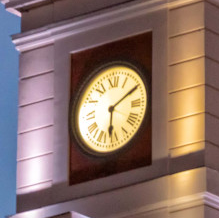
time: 6:10
